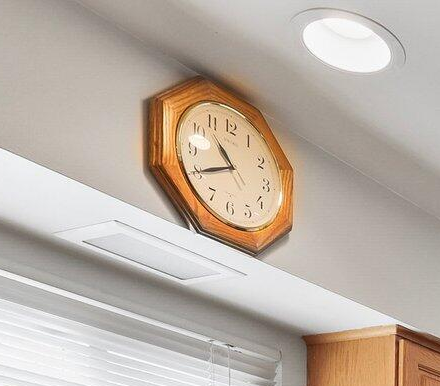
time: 10:39
